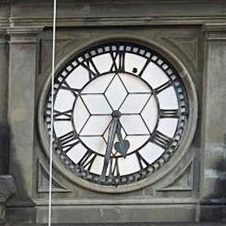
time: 5:31
